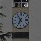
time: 6:54
